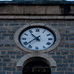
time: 10:37
